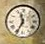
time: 11:34
